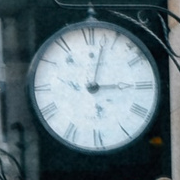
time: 3:02
